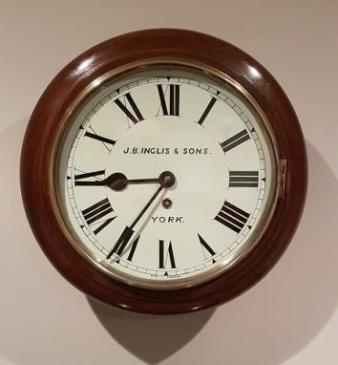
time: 8:36
